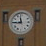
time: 11:45
